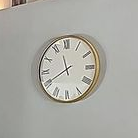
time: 11:40
